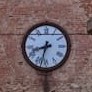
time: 8:32
